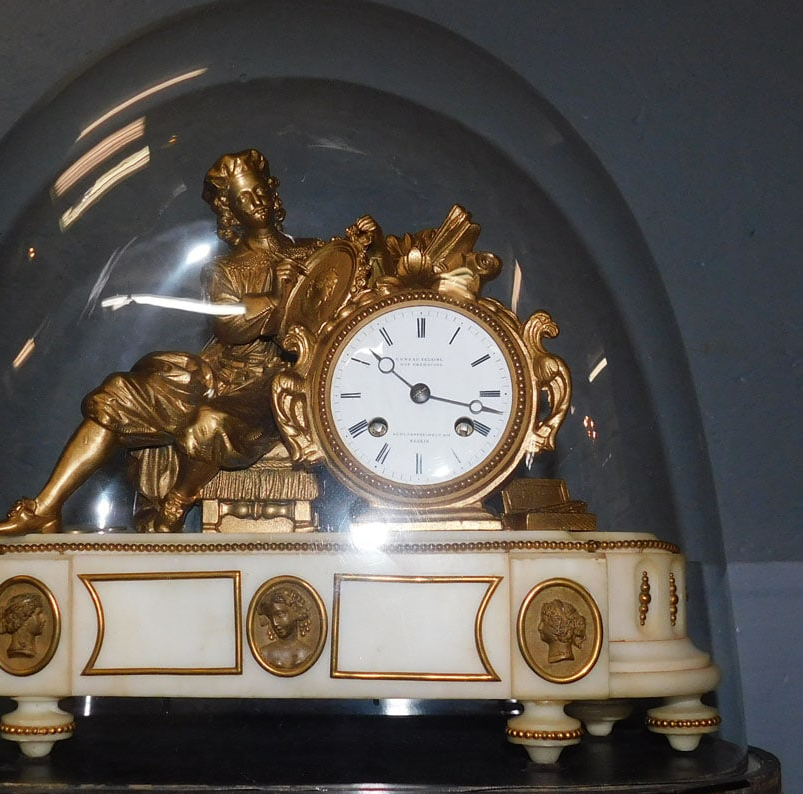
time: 10:17
